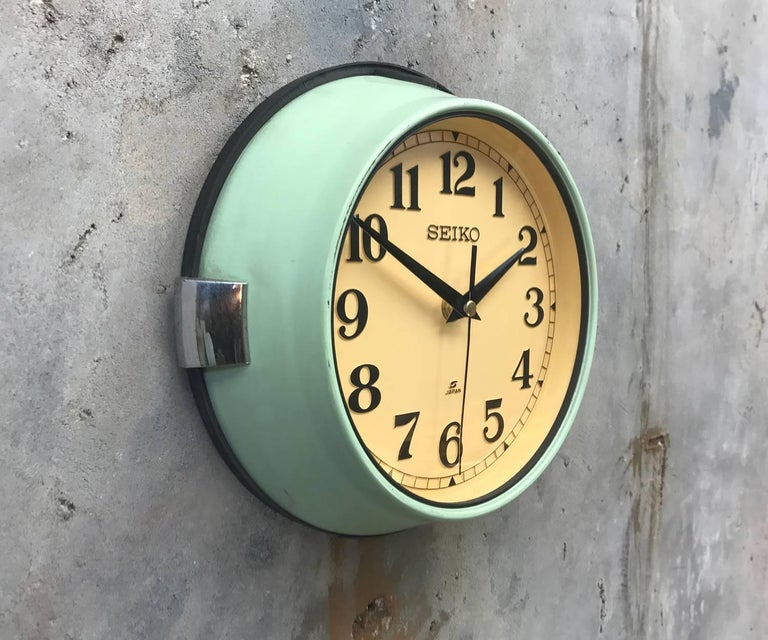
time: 1:50
